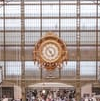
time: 4:52
